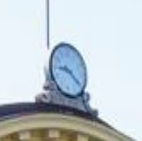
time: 9:20
